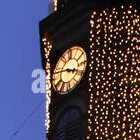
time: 3:47
